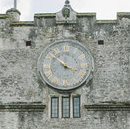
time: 3:52
